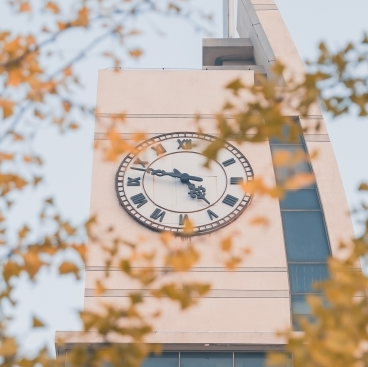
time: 4:48
